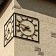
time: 7:47
